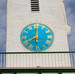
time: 8:00
